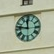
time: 11:46
